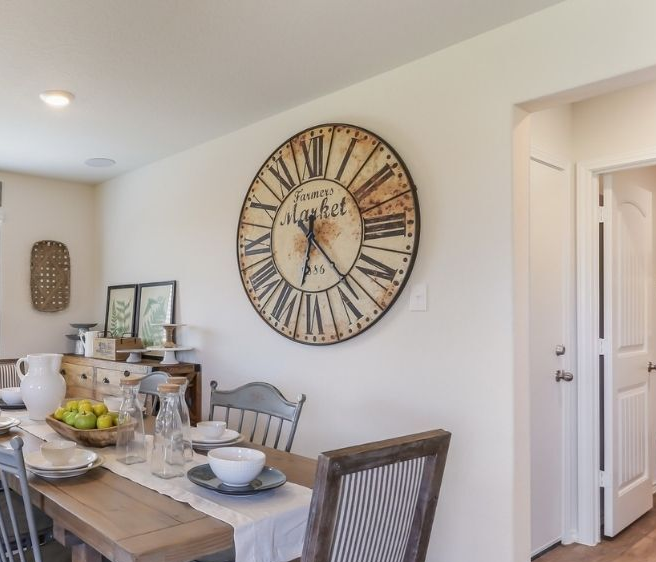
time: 6:23
